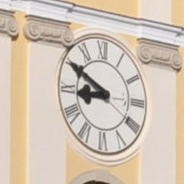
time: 8:50
